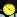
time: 3:52
